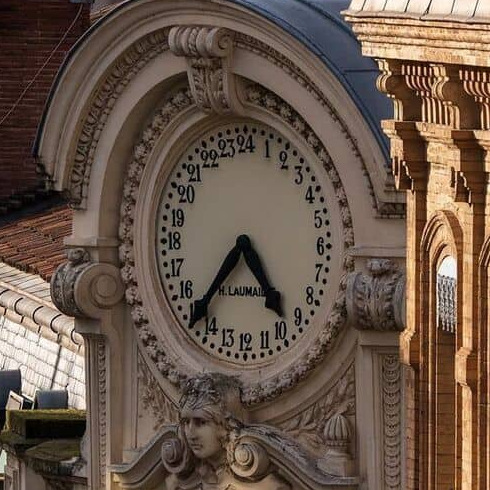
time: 4:37
